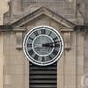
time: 3:12
